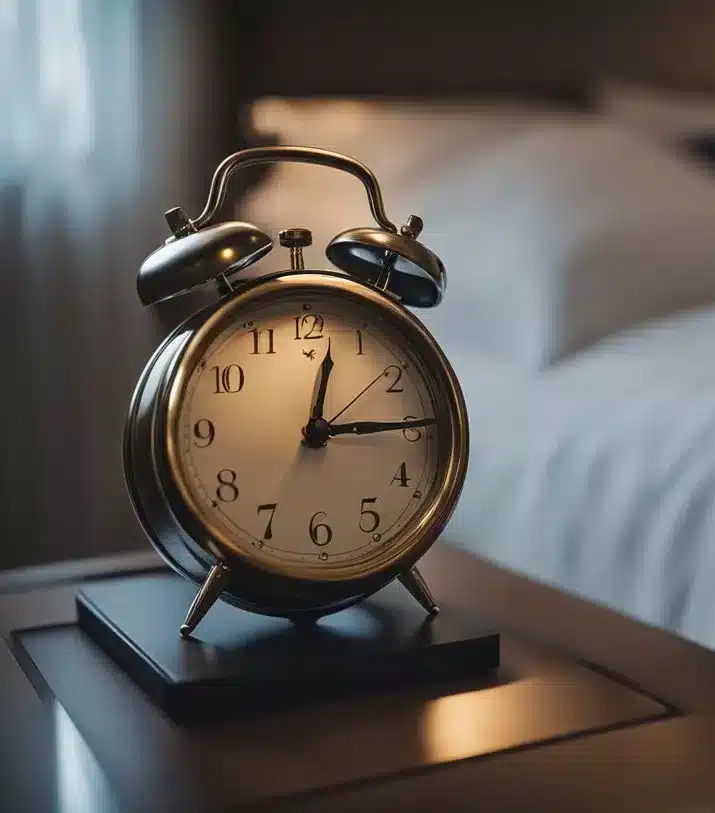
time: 12:14
